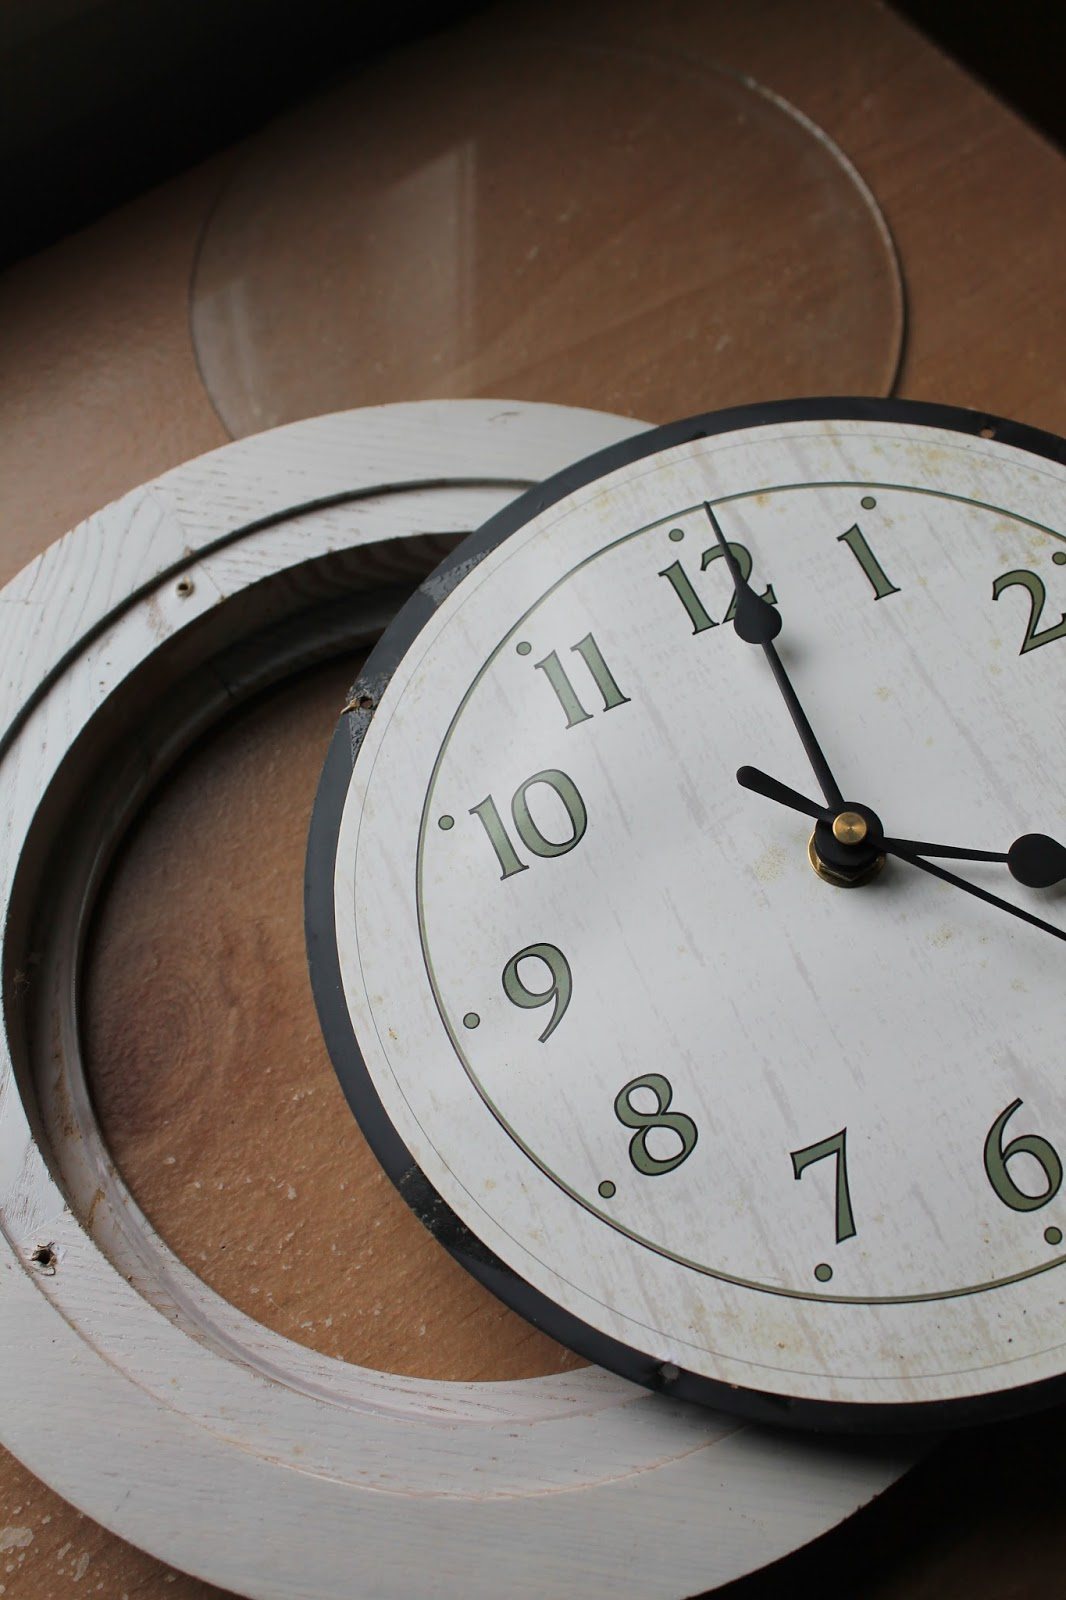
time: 4:00
